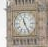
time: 11:25
